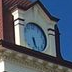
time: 5:26
